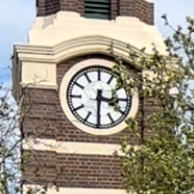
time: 3:30
